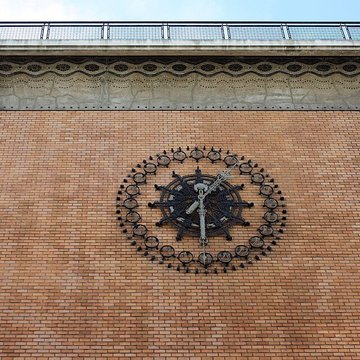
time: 12:29
